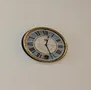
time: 12:26
